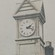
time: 2:18
